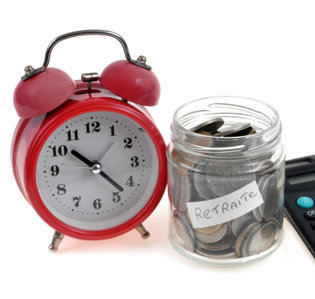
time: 10:22
